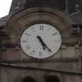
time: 5:24
